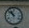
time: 10:52
